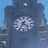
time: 4:34
